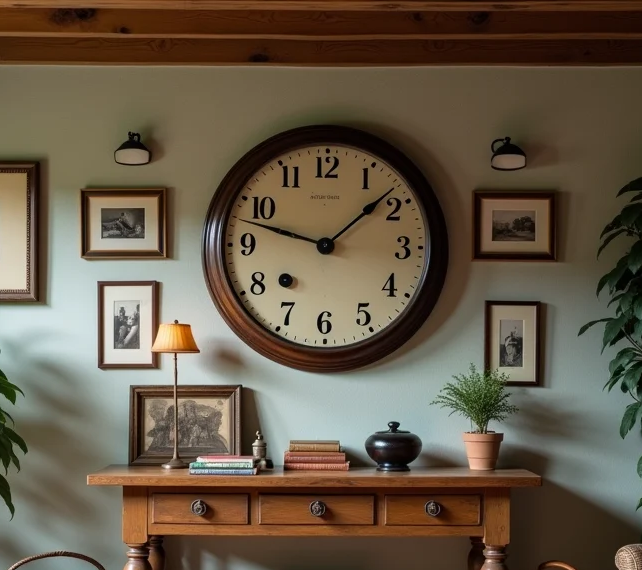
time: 1:47
